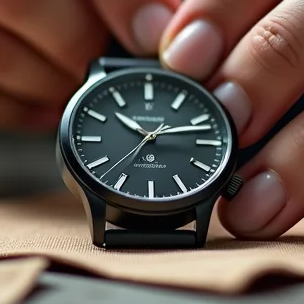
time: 10:12
